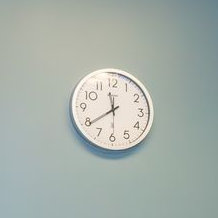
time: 11:39
